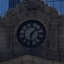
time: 1:32
